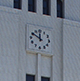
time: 11:50
